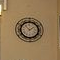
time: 1:53
